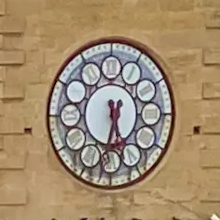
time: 5:32
